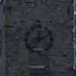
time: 12:11
